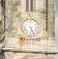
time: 5:26
